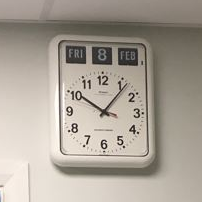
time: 10:06
